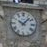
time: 10:07
